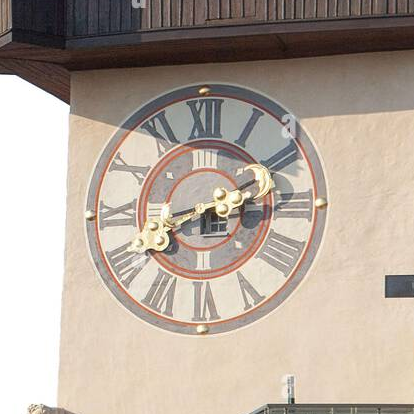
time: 8:11
